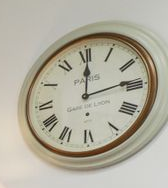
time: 12:13
